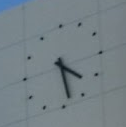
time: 4:28
